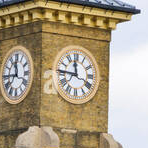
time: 11:45
